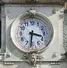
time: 3:31
